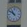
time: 10:51
